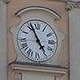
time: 4:56
